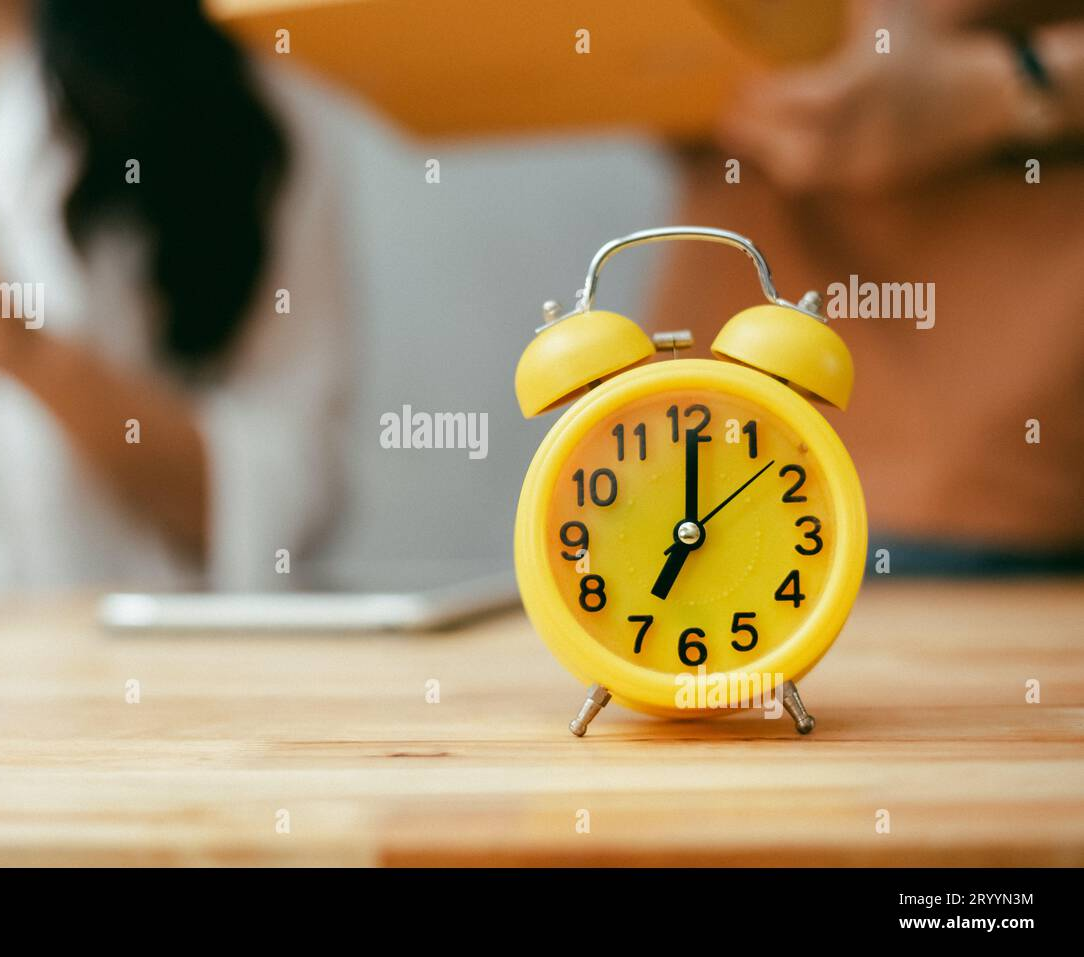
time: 7:00
